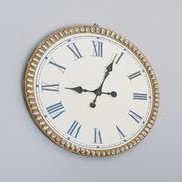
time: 9:04
